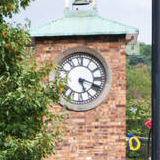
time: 5:18
